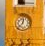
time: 12:37
